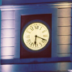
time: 6:18
